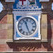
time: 11:26
